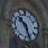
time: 10:26
